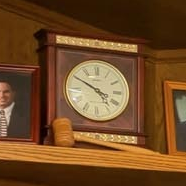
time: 3:50
